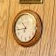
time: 10:43
